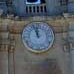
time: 11:56
